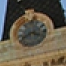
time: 3:40
